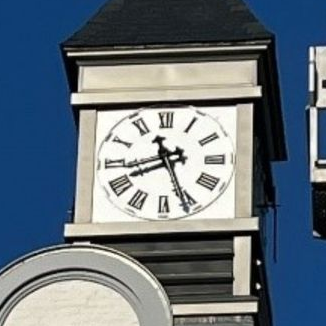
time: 8:26
